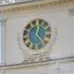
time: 12:22
